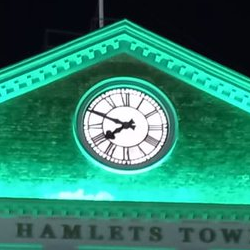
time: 7:48
